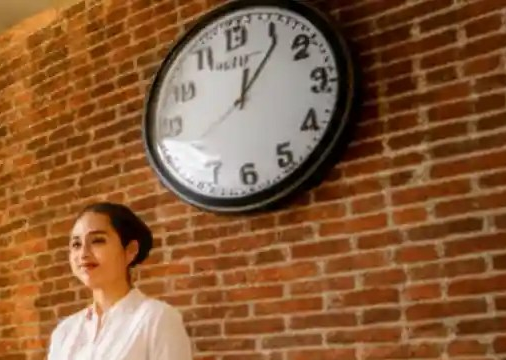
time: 12:06
